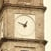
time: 12:49
